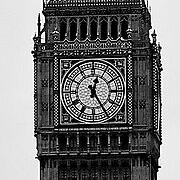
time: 12:24
